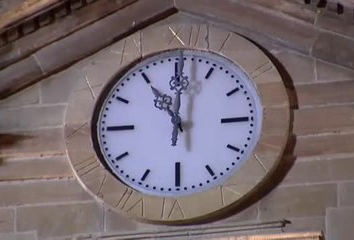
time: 11:00
